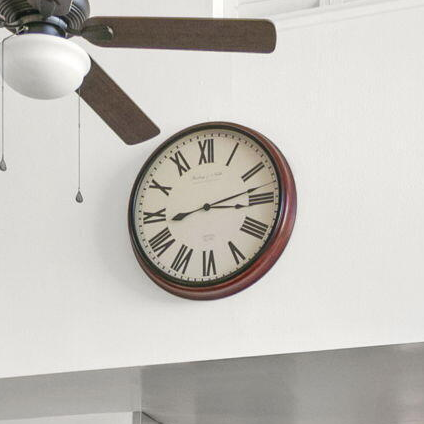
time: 3:12
